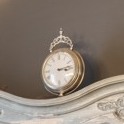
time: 3:13
